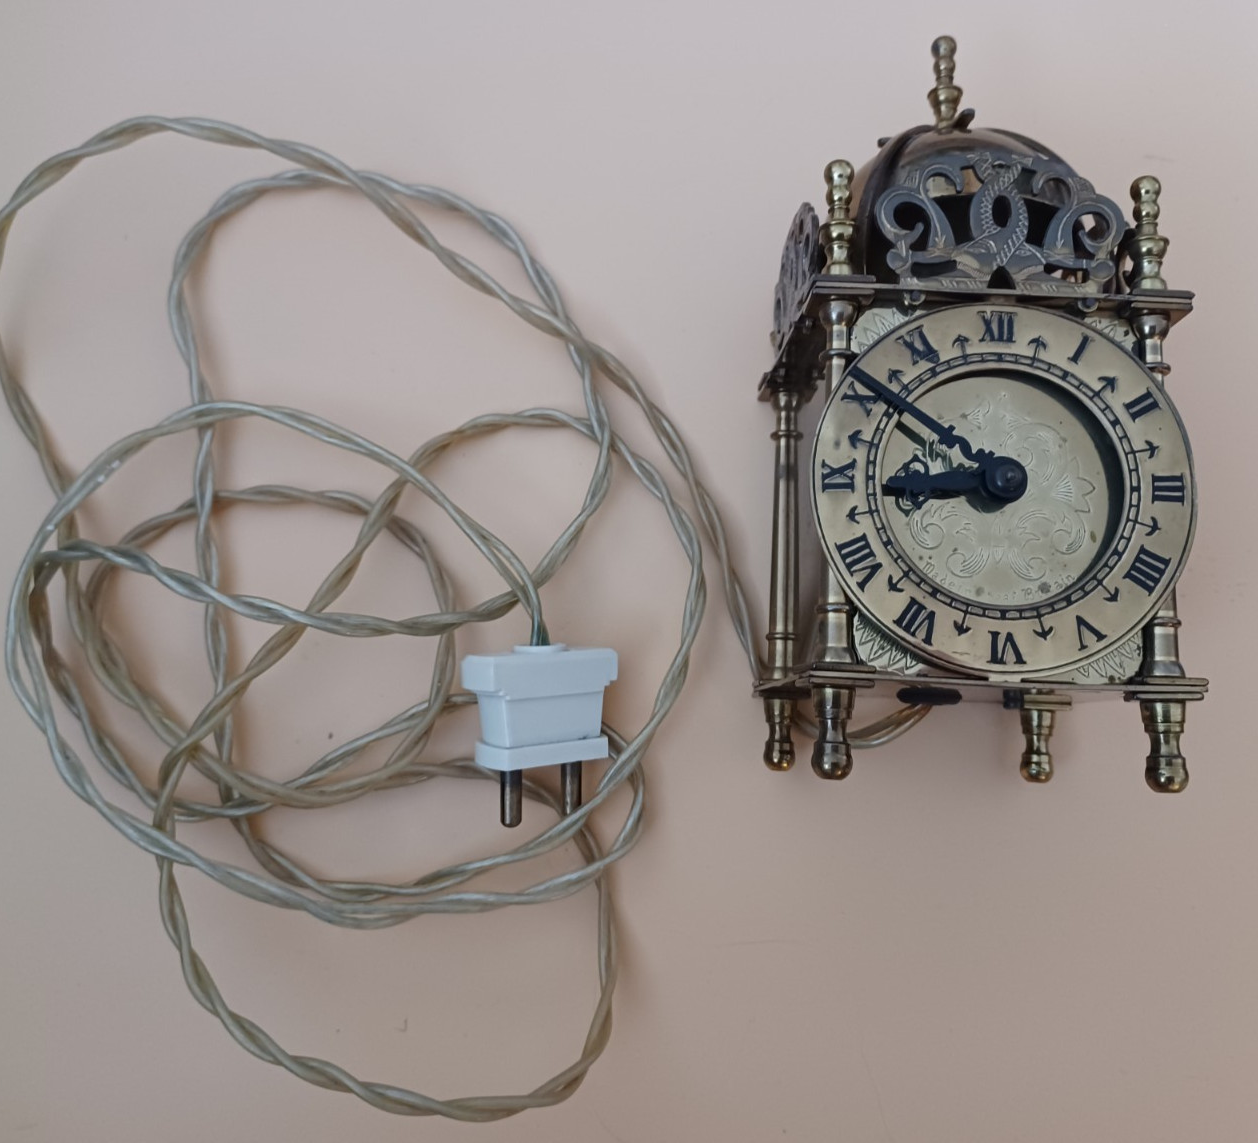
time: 8:50
